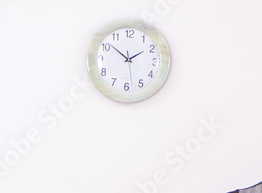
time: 1:51
